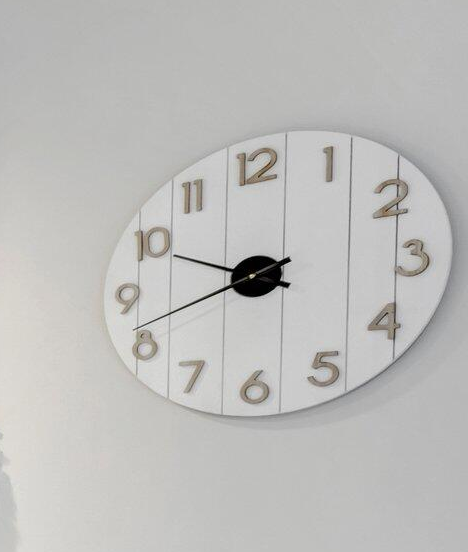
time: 9:42
